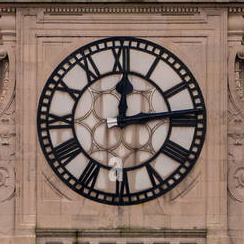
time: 12:13
